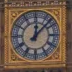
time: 12:07
